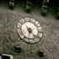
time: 6:22
